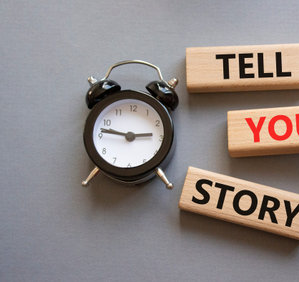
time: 2:46
